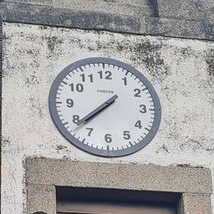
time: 7:37
